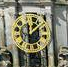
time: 12:07
